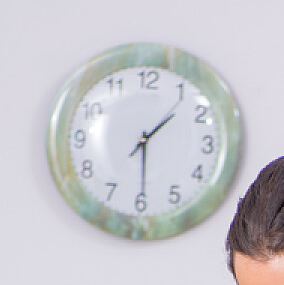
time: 1:29
